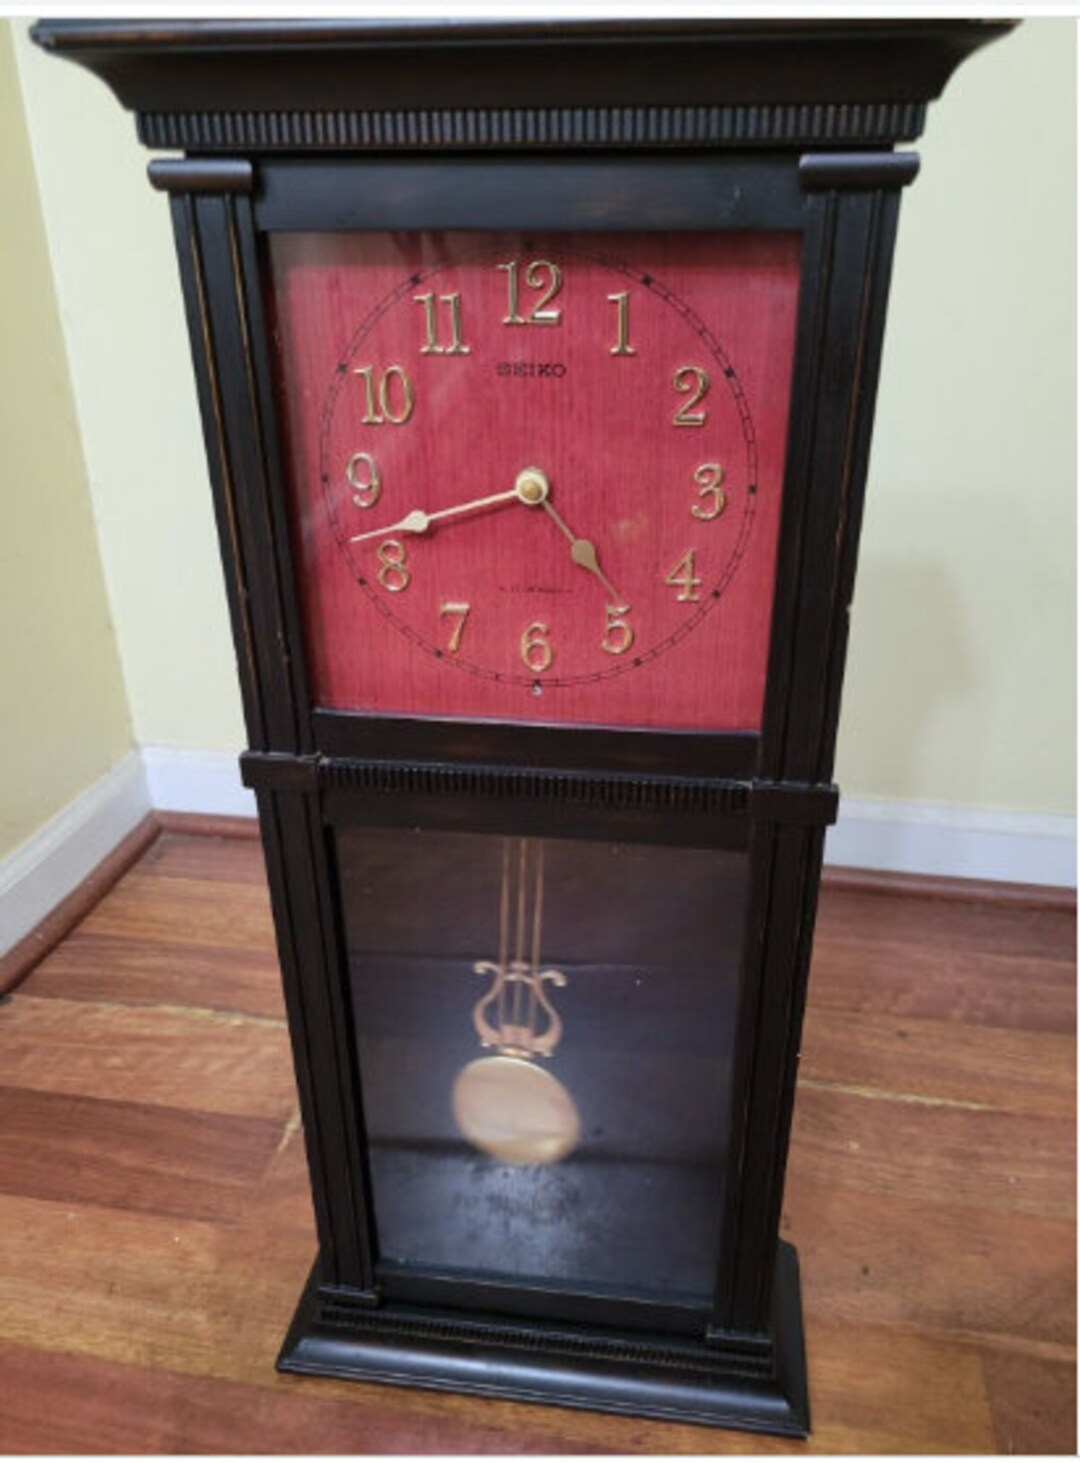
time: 4:42
